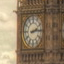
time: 2:13
